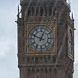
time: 12:49
